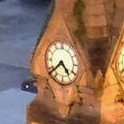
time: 4:38
